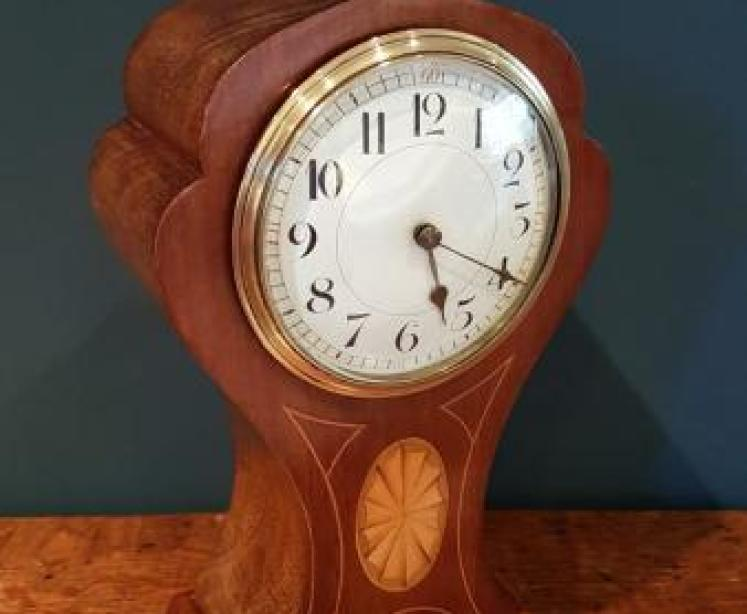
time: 5:19
